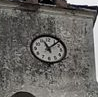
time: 11:07
